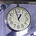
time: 12:57
